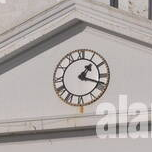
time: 1:18
